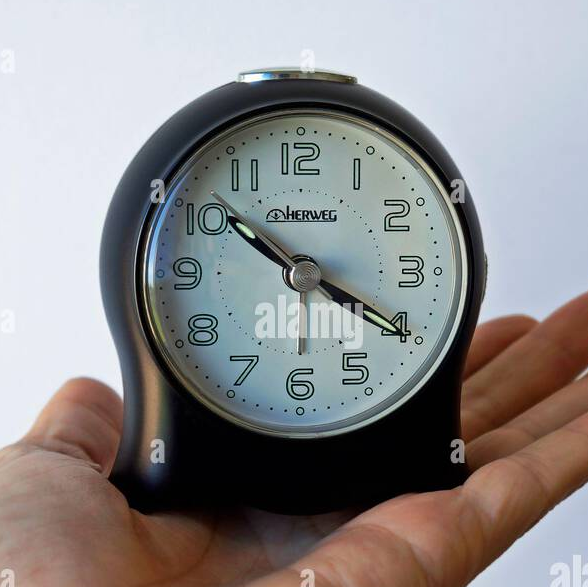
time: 10:20
